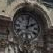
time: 2:01
